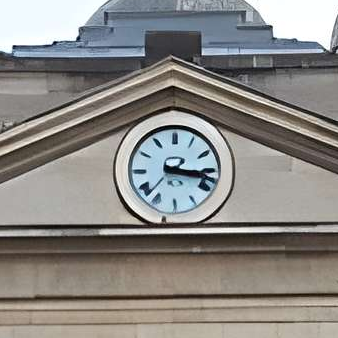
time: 3:17
